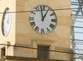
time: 12:58
